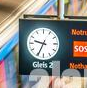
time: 9:34
